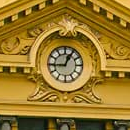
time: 12:44
